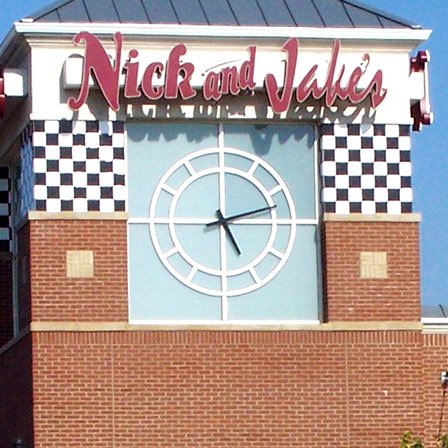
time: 5:12
